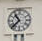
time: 10:37
